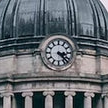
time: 3:22
